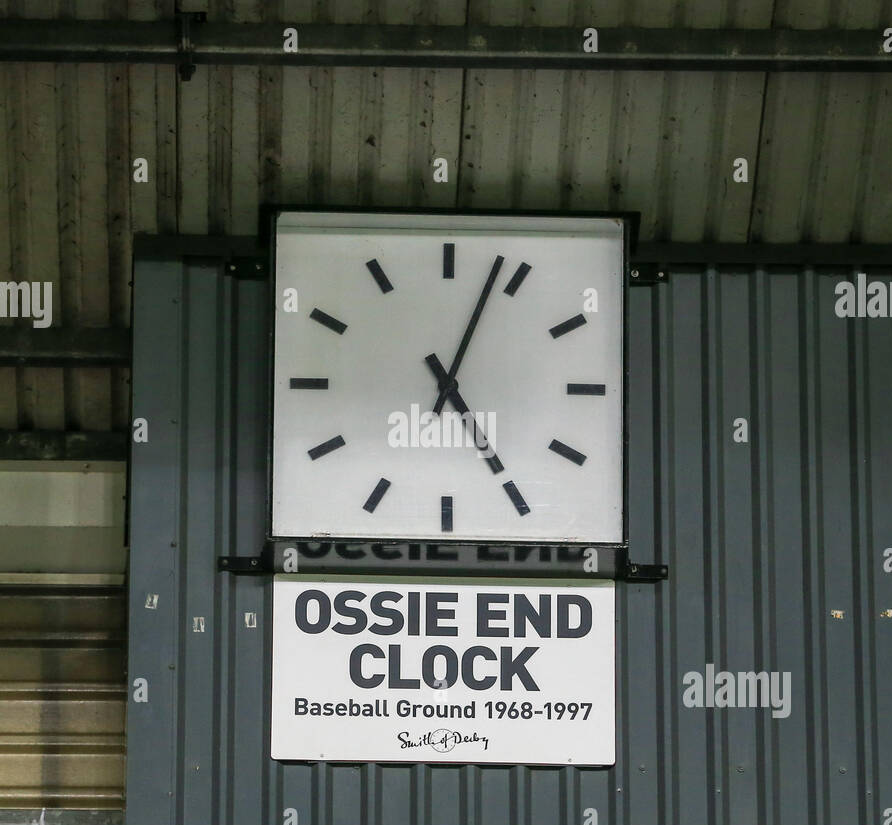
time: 5:03
